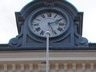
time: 2:25
